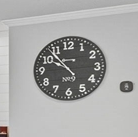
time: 9:53
